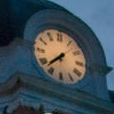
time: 7:37
